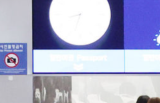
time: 8:32
